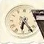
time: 6:23
